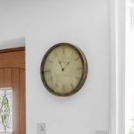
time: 11:07
